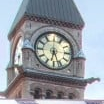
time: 6:26
